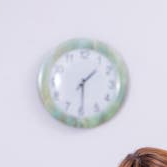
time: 1:29
